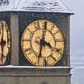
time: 3:32
